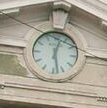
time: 12:27
